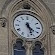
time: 4:27
